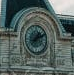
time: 1:11
